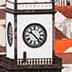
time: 10:23
